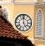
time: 4:59
